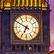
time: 6:50
